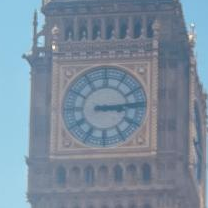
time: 3:14
